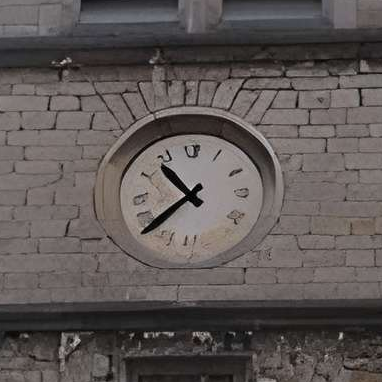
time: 10:38
